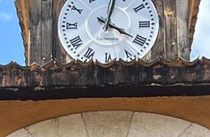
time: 4:02
